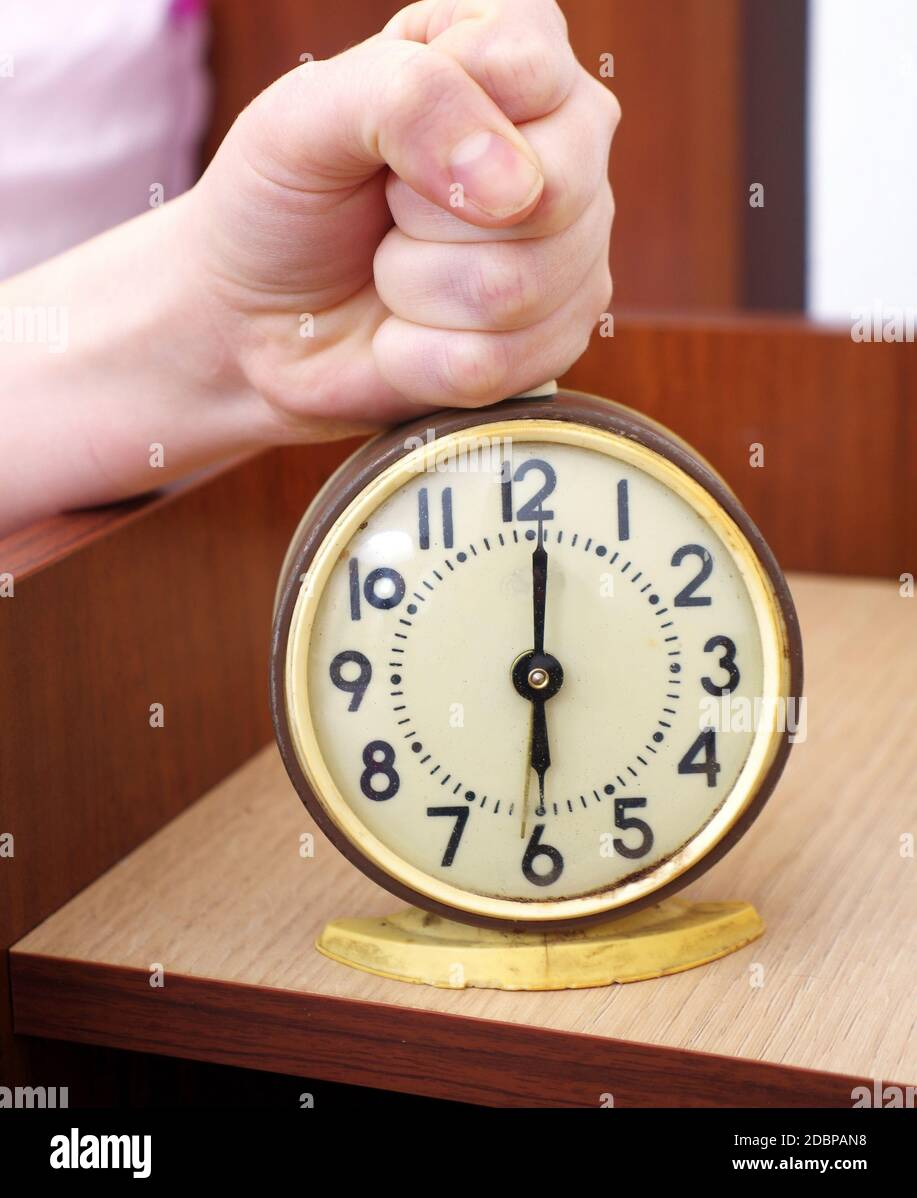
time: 6:00
